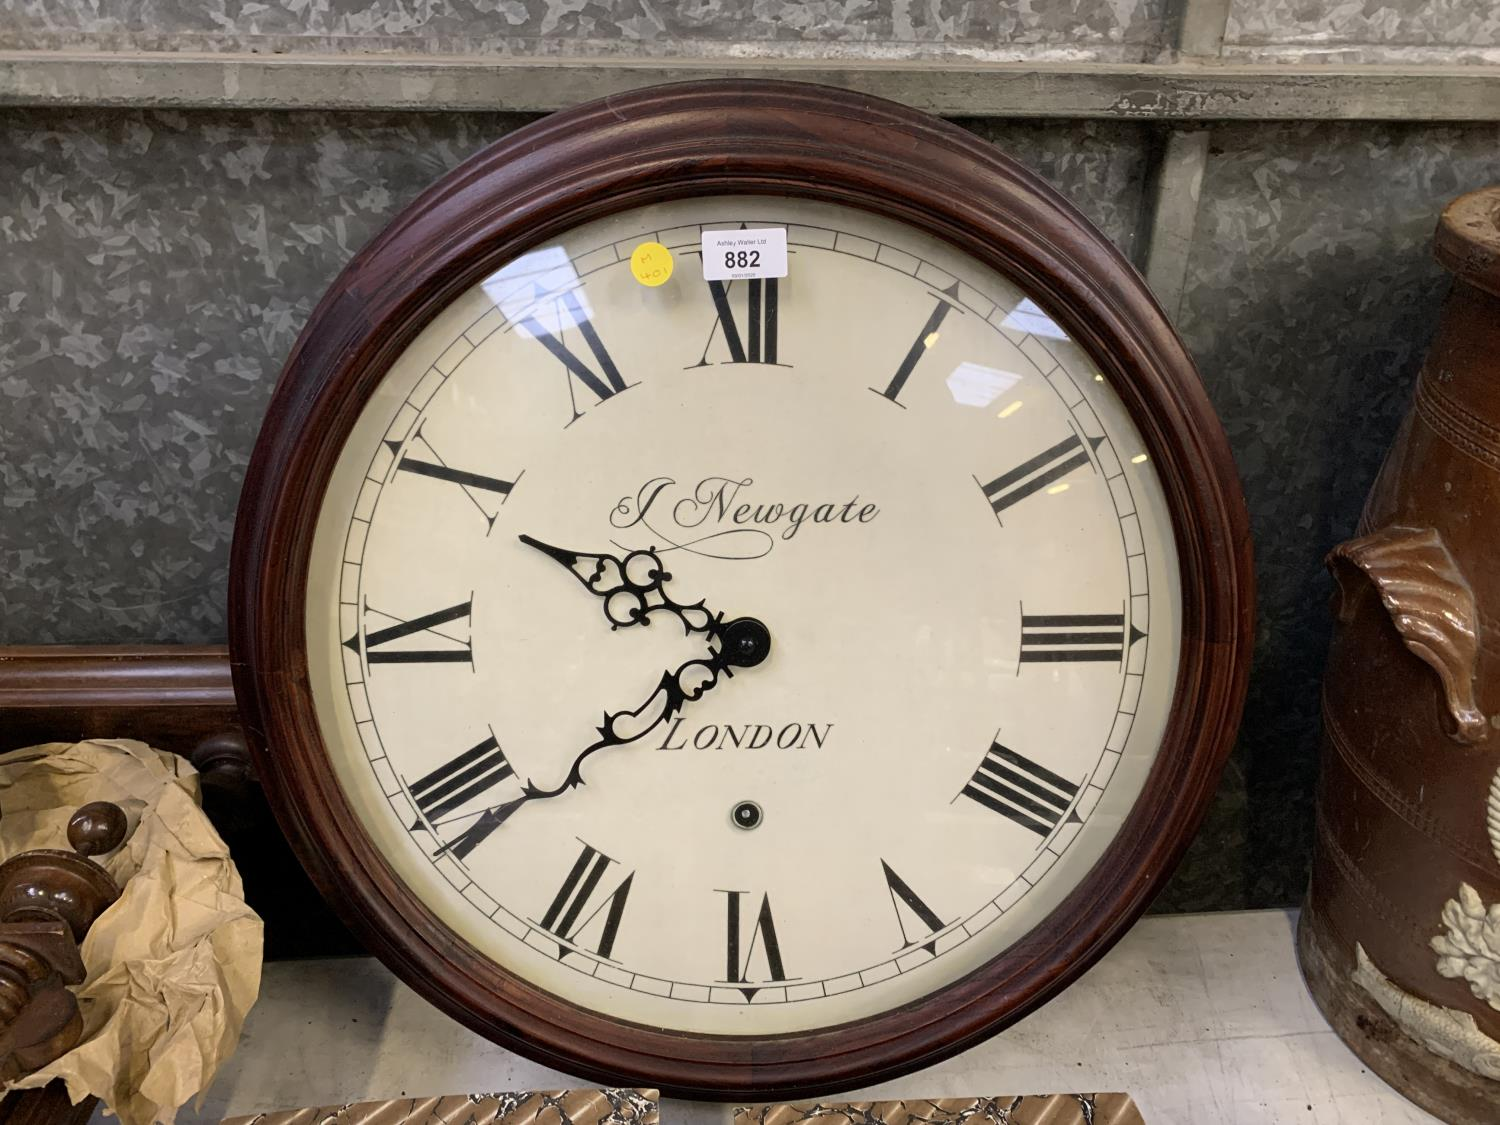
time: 9:38
